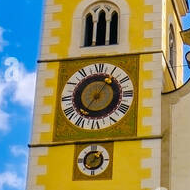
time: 7:06
